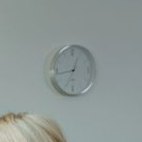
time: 12:43
